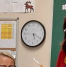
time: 5:20
